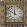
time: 11:50
